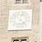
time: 12:23
